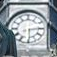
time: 6:14
